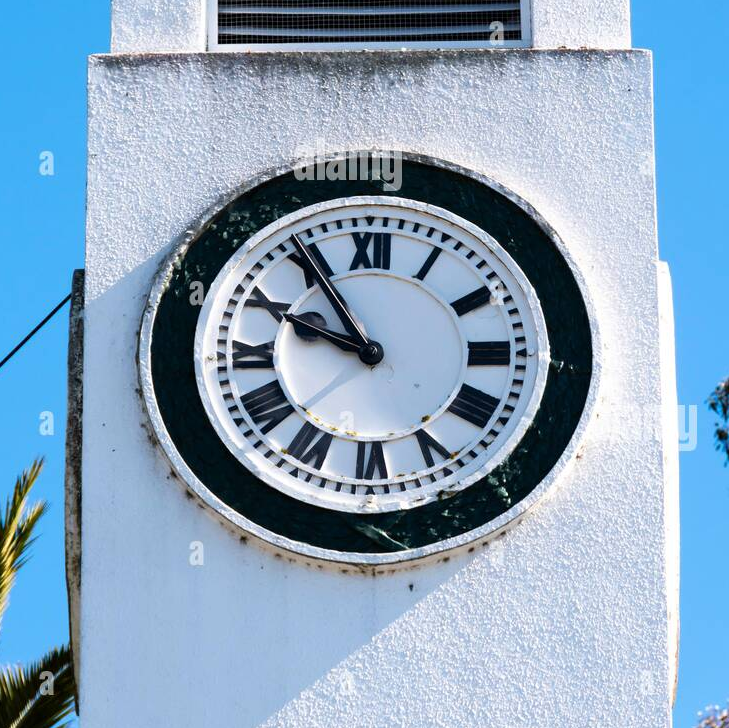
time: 9:54
